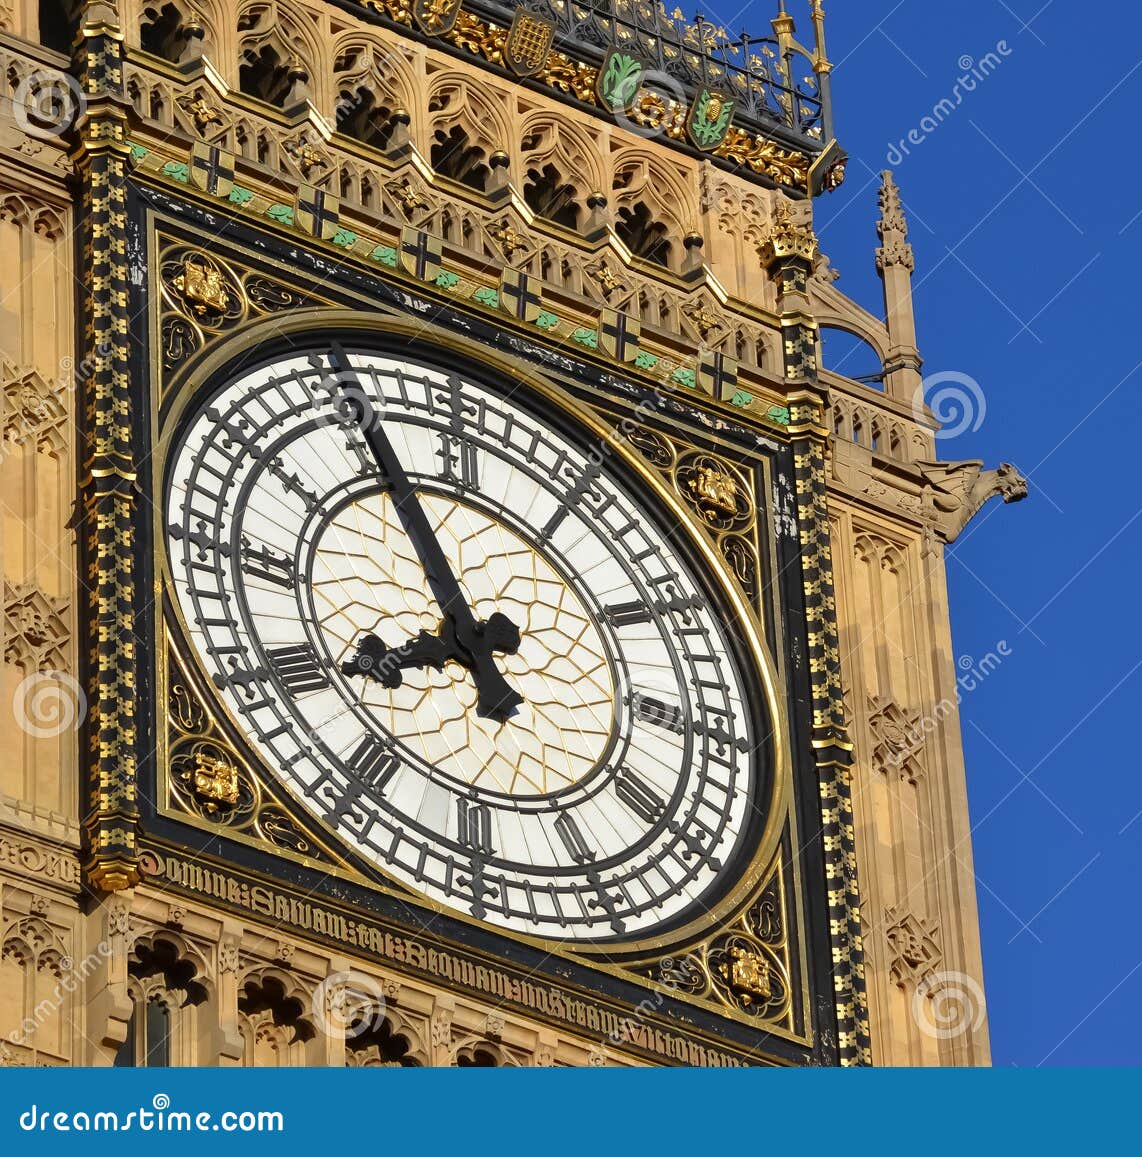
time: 7:55
